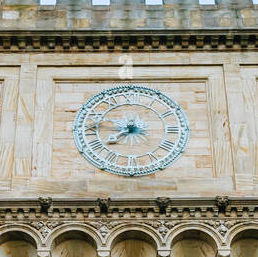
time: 7:46
